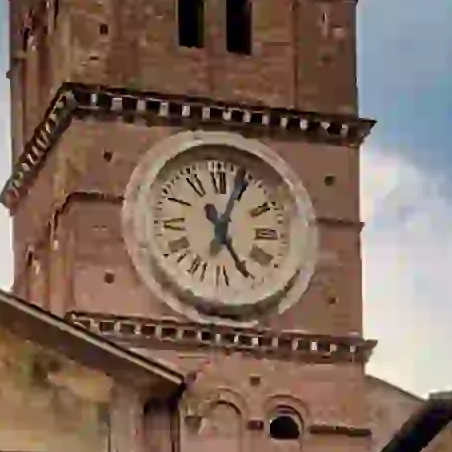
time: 5:03
